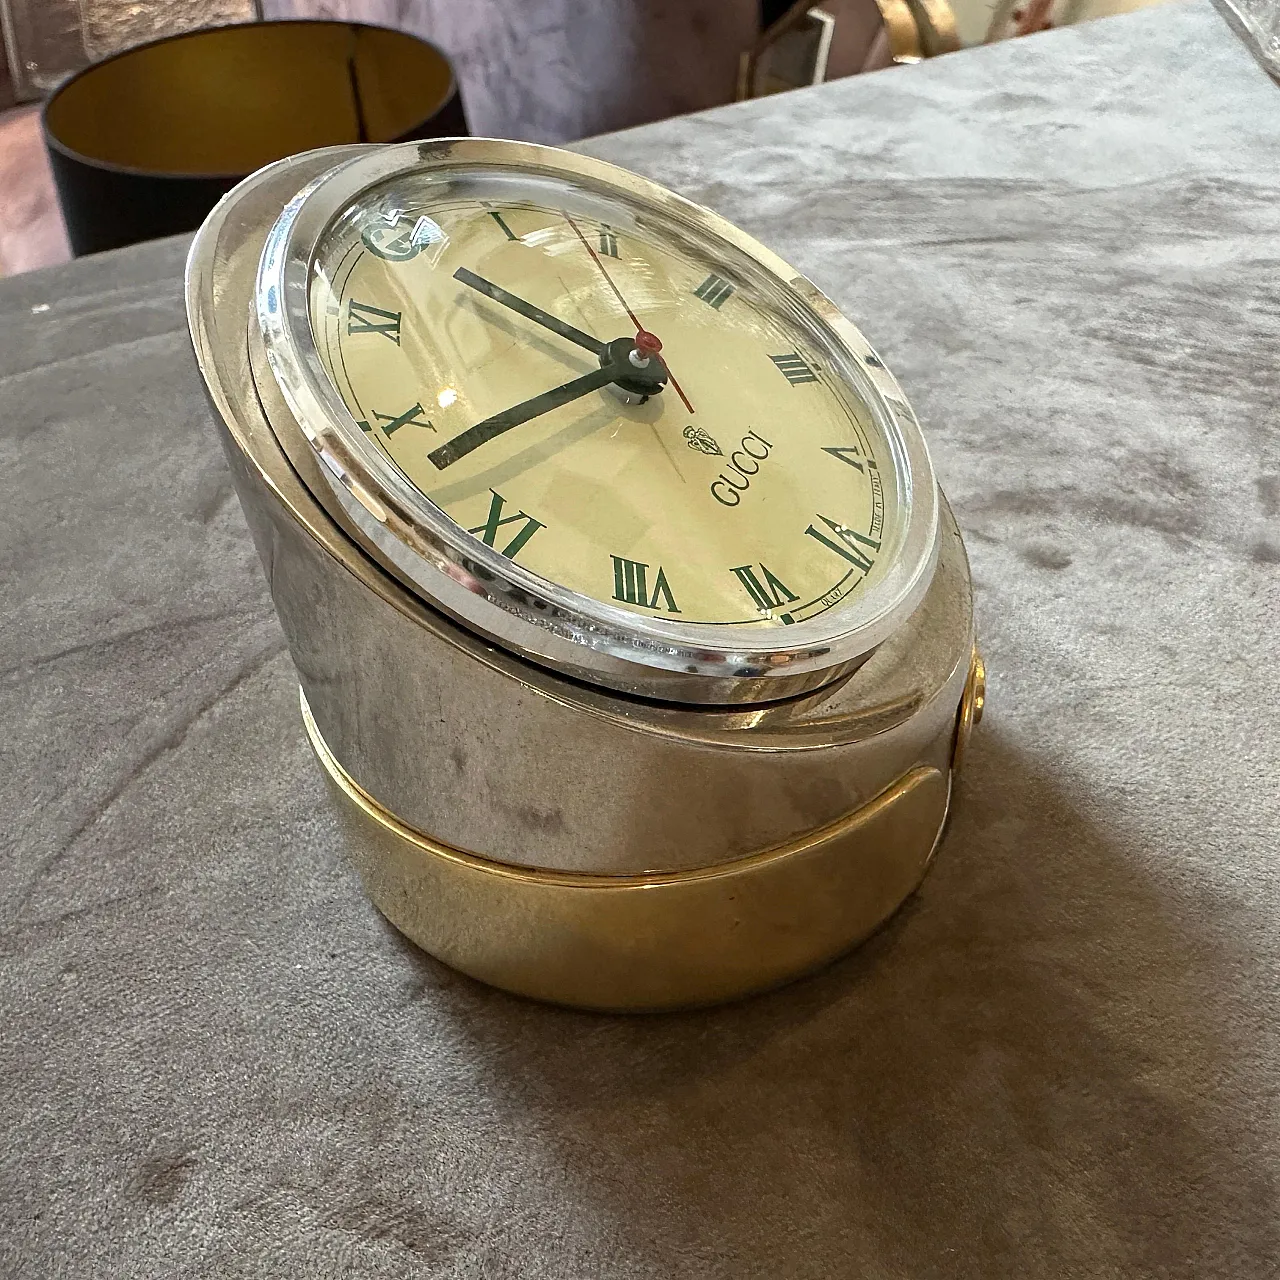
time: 9:38
